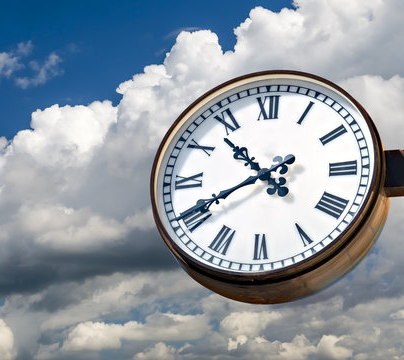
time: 10:40
